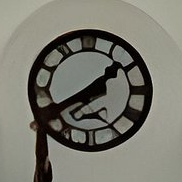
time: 1:40
